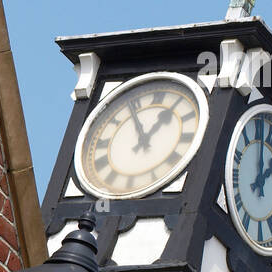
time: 12:54
